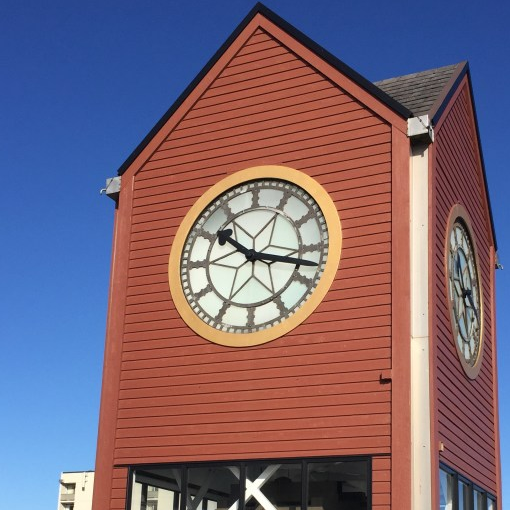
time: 10:17
